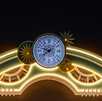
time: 7:47
